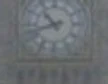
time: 10:42
